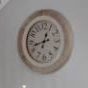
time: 12:42
